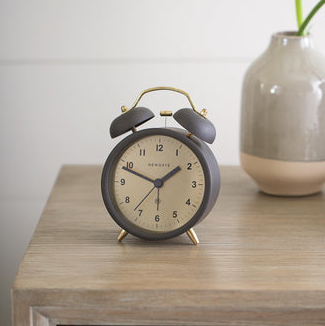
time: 1:48
